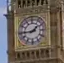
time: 1:43
